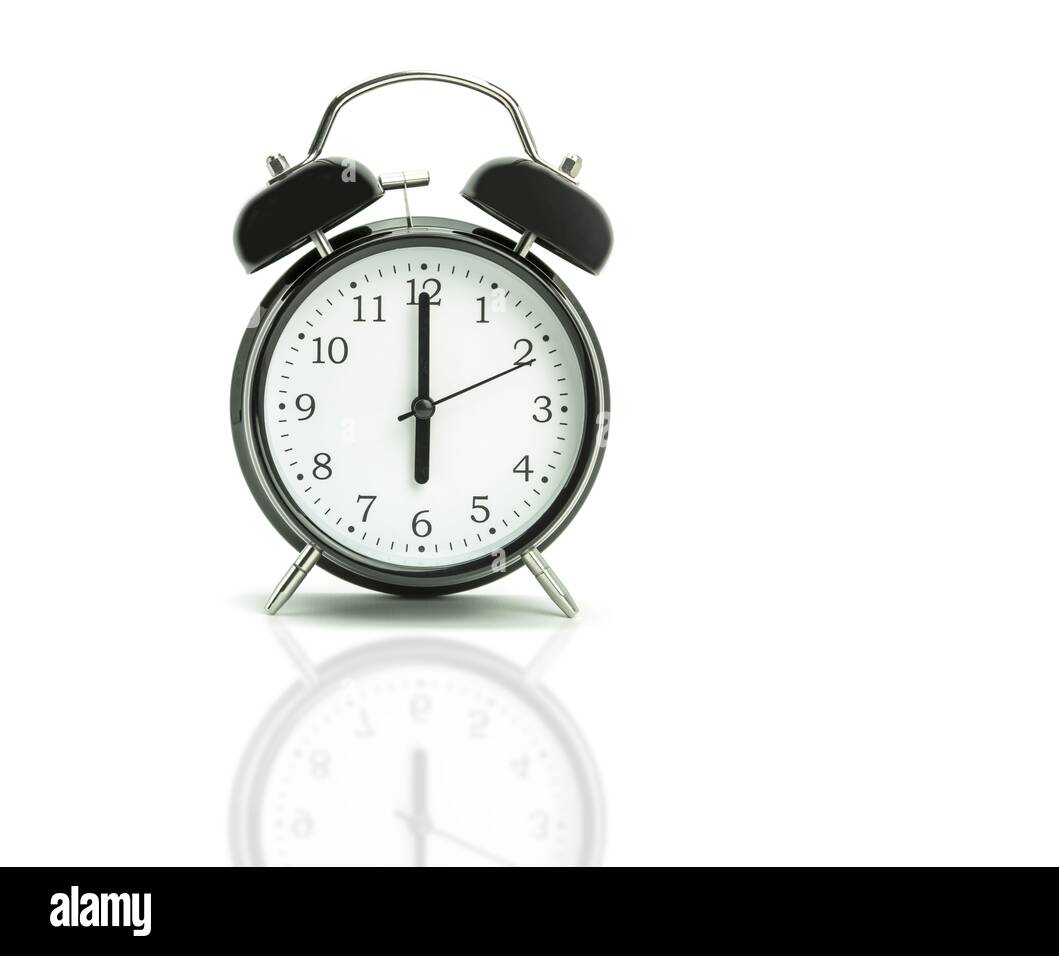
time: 6:00
